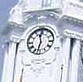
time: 11:32
